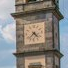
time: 4:37
